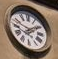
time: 1:47
